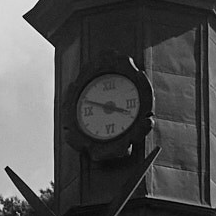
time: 3:48
